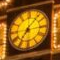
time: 7:06
